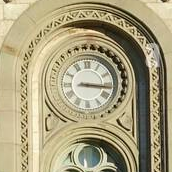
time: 3:16
